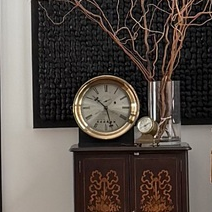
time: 10:27
